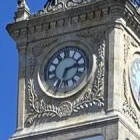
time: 2:32
